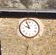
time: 9:57
